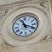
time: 11:18
